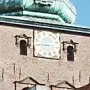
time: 8:45
